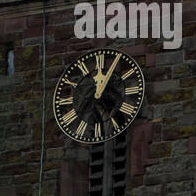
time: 12:05
